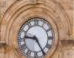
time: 9:24
